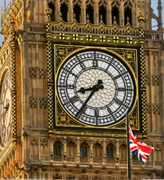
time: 8:35
